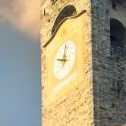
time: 9:01
